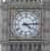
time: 4:13
